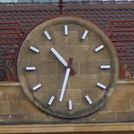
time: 10:32
